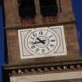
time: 10:43
